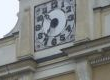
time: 10:36
